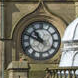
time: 10:48
